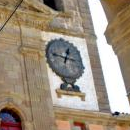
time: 12:46
